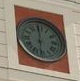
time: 5:59
